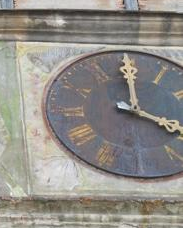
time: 3:59
